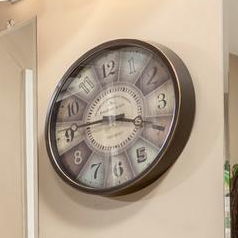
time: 3:45
